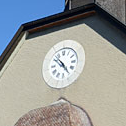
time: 4:52
